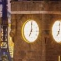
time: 7:00
